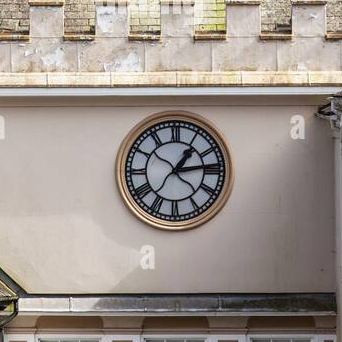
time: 1:13
